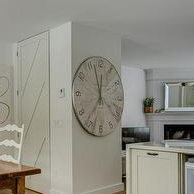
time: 11:57
